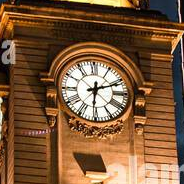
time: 6:11
